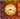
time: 8:17
